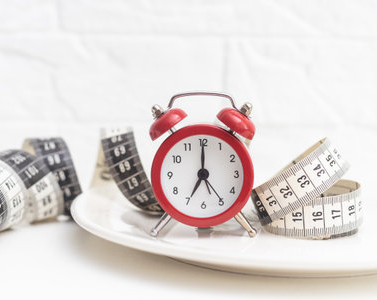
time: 7:00
